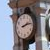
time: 2:13
